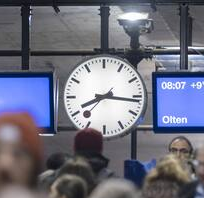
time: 8:16
